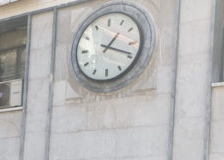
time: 1:18
